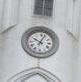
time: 10:03
